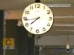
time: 7:43
